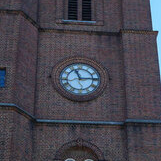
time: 11:14
